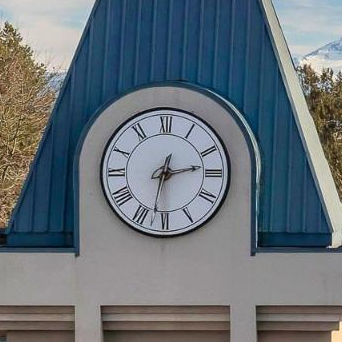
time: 2:32
